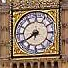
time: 7:40
